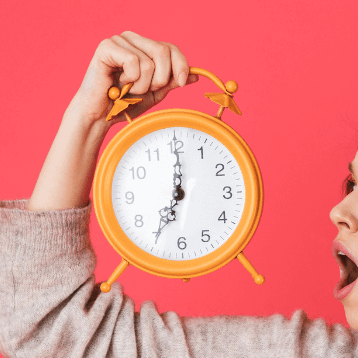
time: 7:00
